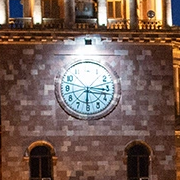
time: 6:16
